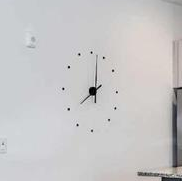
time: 8:01
